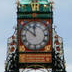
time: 11:51
